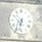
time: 6:32
